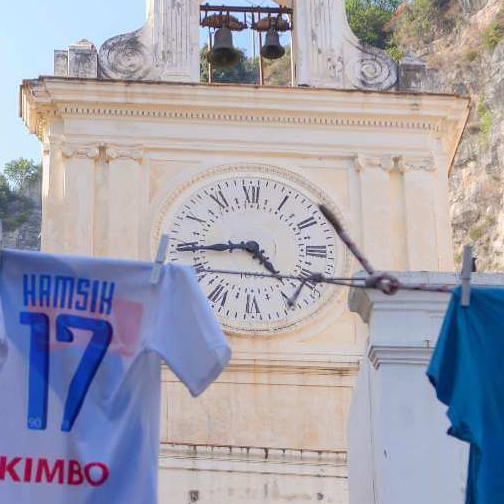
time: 4:44
